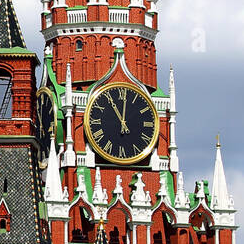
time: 11:01
